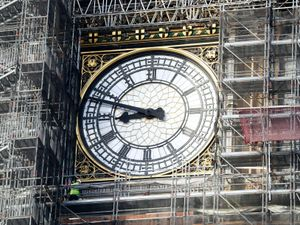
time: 8:47
